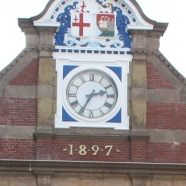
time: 2:34
